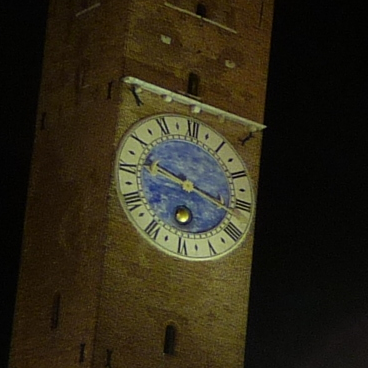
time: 9:17
